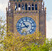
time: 10:42
